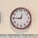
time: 12:44
